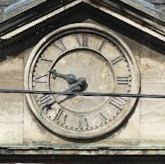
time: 9:39
